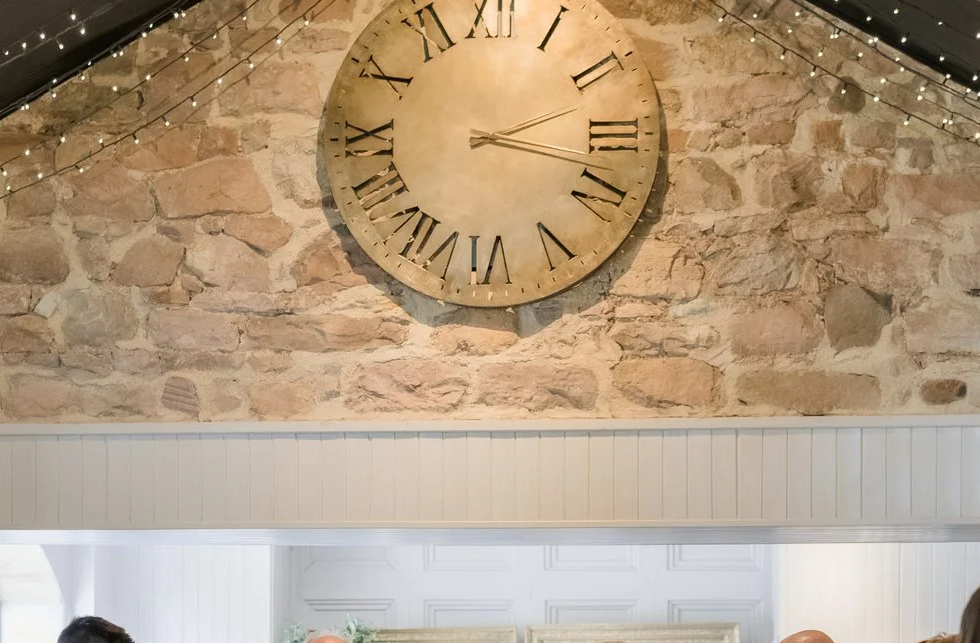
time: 2:18
